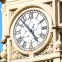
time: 4:52
